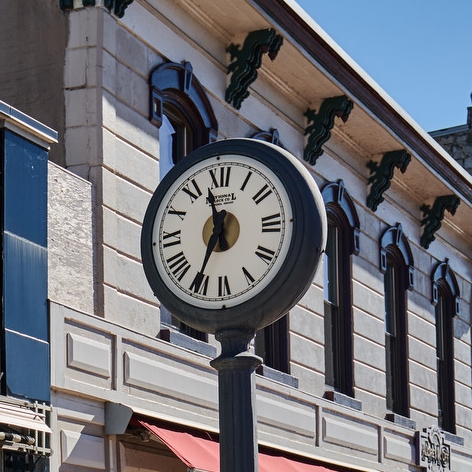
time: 11:35
